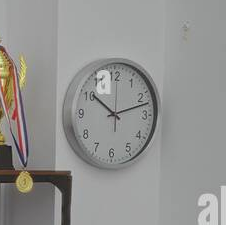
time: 10:12
